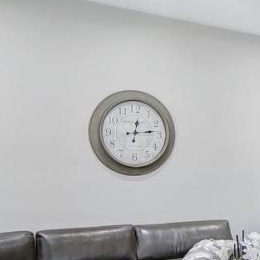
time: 12:13
